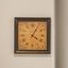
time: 4:04
